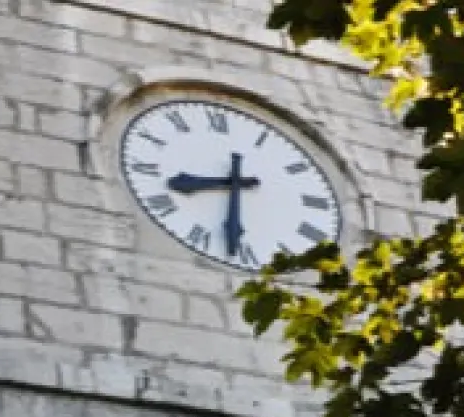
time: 8:31
